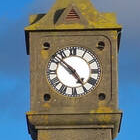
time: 4:52
